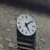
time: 5:08
